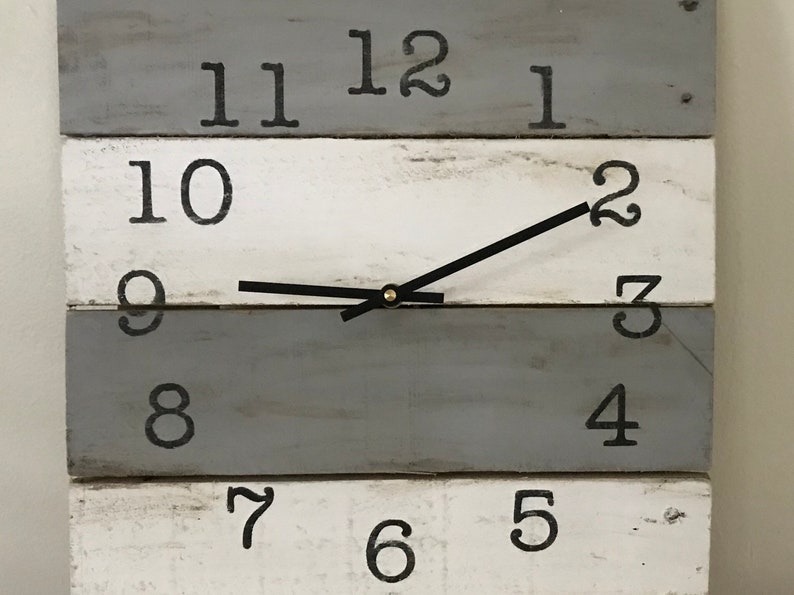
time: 9:10
